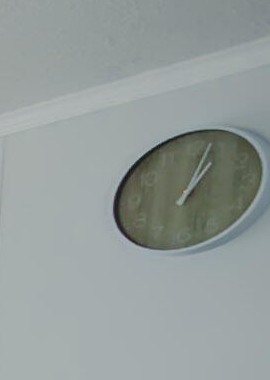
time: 1:02
